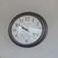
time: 9:50
